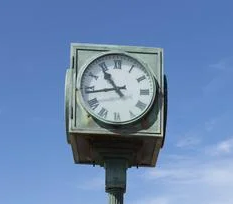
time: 10:43
